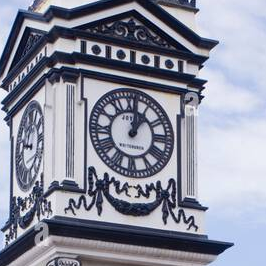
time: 1:01
